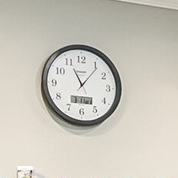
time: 11:06
